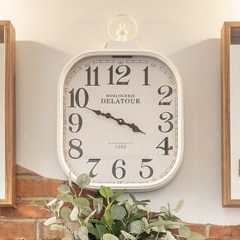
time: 3:48
